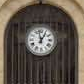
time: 12:58
